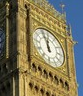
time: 11:56
